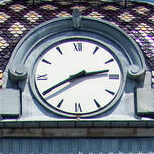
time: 2:40
